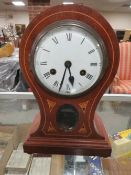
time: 5:33
